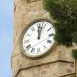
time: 12:02
